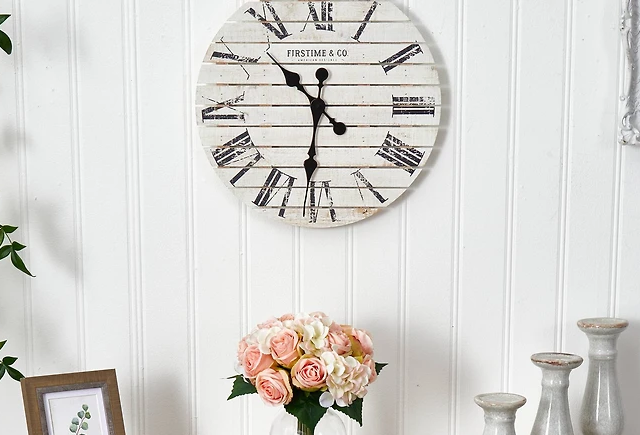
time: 10:31
